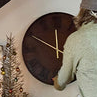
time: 11:49
